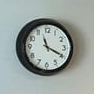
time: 11:19
